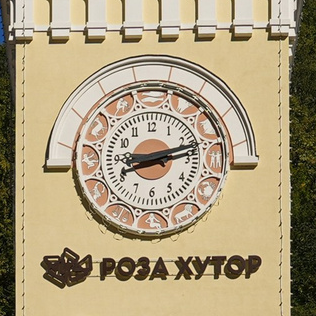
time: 8:12
